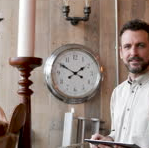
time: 1:50
